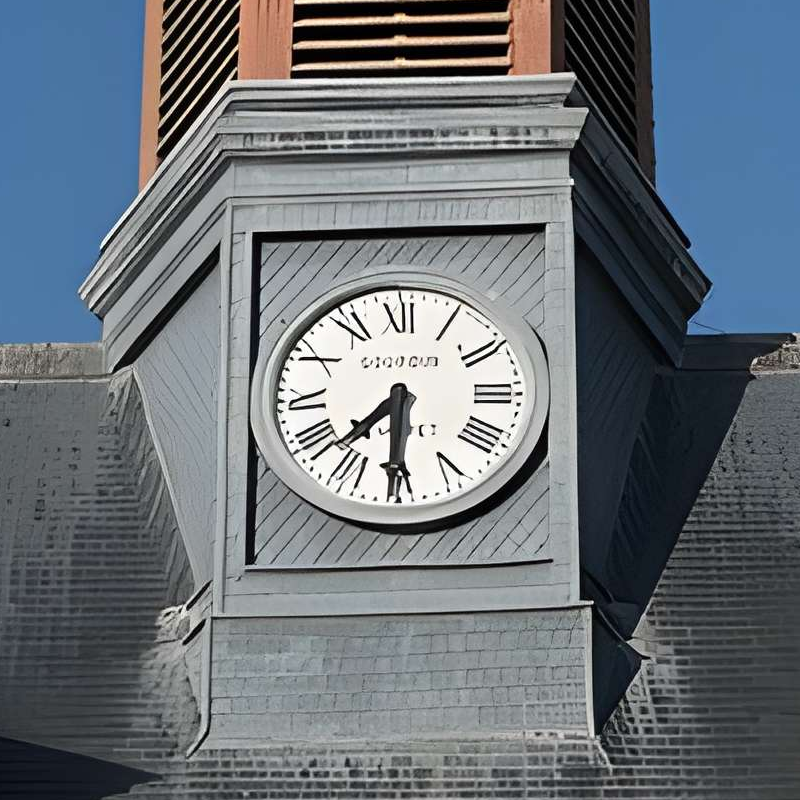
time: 7:30
